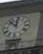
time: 11:52
